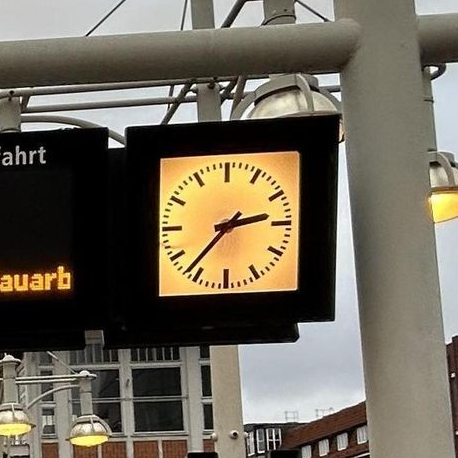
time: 2:37
